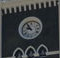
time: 9:54
